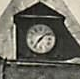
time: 7:08
